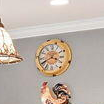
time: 3:40
